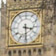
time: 3:29
